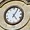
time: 5:05
